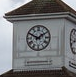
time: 1:49
